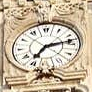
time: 7:12
